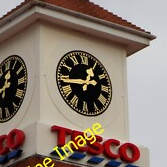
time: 12:43
